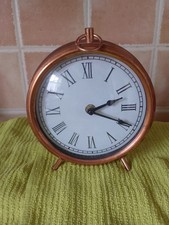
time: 2:19
